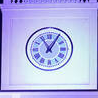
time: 11:05
